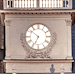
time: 6:51
